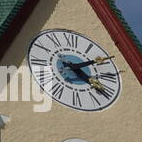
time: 2:21
